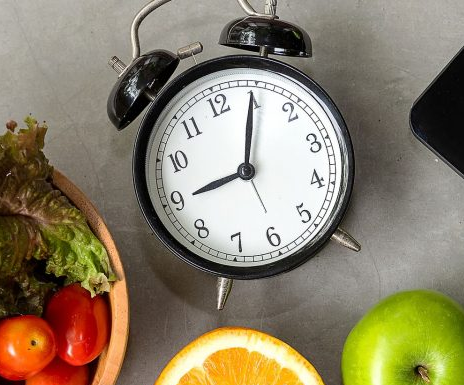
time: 9:04
